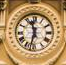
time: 11:32
